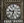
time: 9:33
